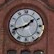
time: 1:42
